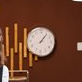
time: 1:06
